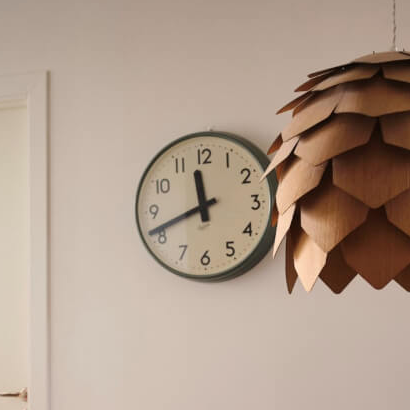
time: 11:41
